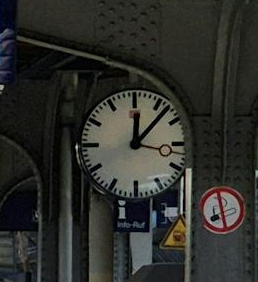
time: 12:07
